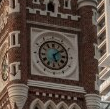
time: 5:08
